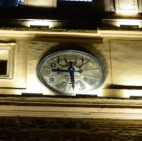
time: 9:30
